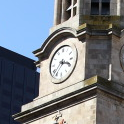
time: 3:37
